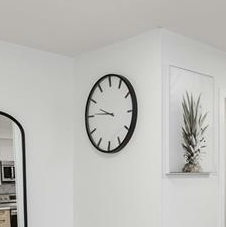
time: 9:45
